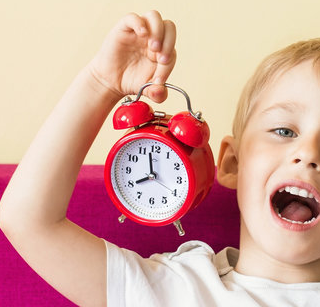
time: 7:58
